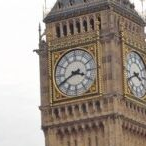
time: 3:40
